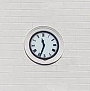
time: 11:33
